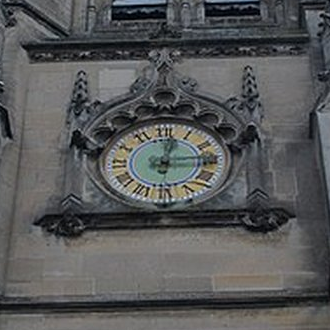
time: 12:14
